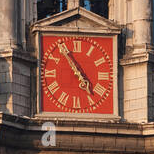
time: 4:54
